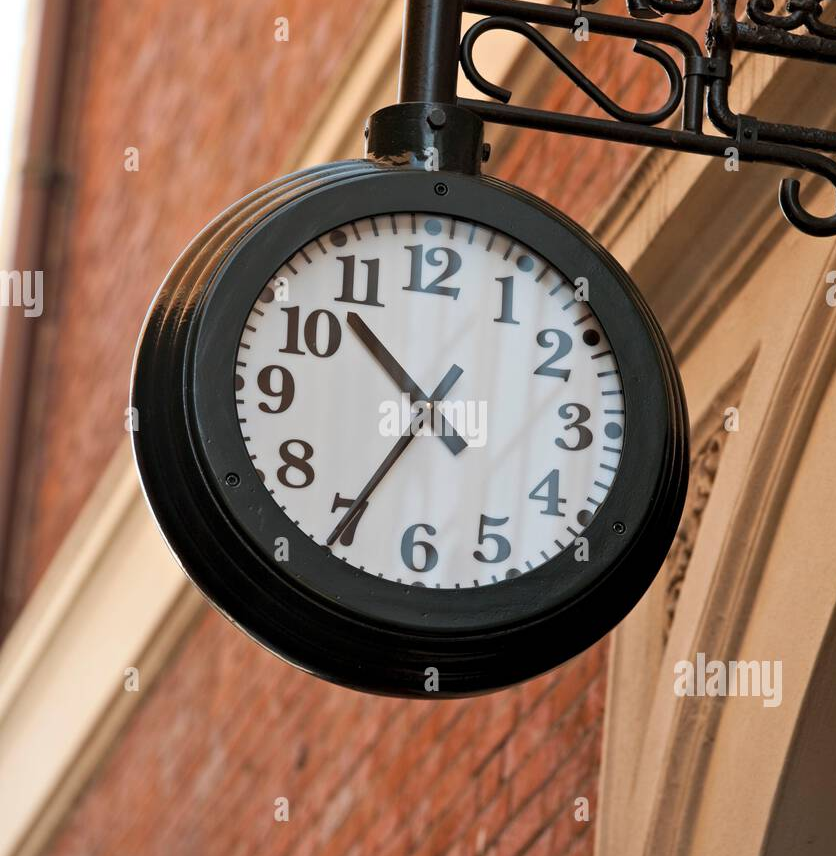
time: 10:34
